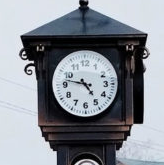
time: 4:46
